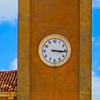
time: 3:15
